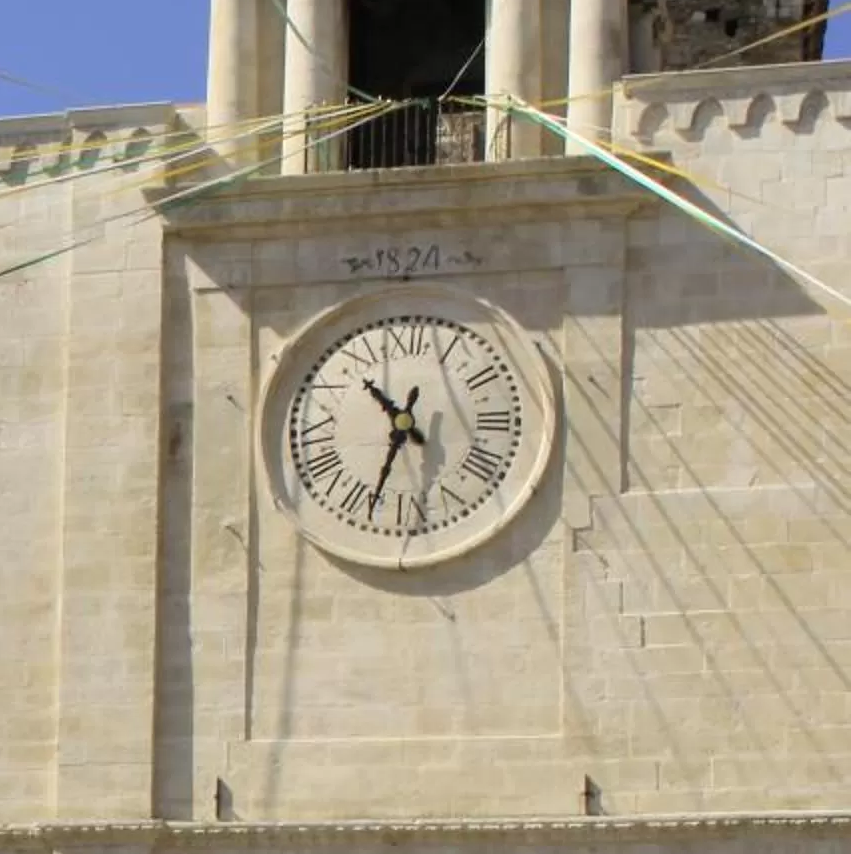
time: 10:33
